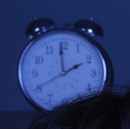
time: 1:59
